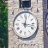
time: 12:16
